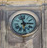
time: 2:57
